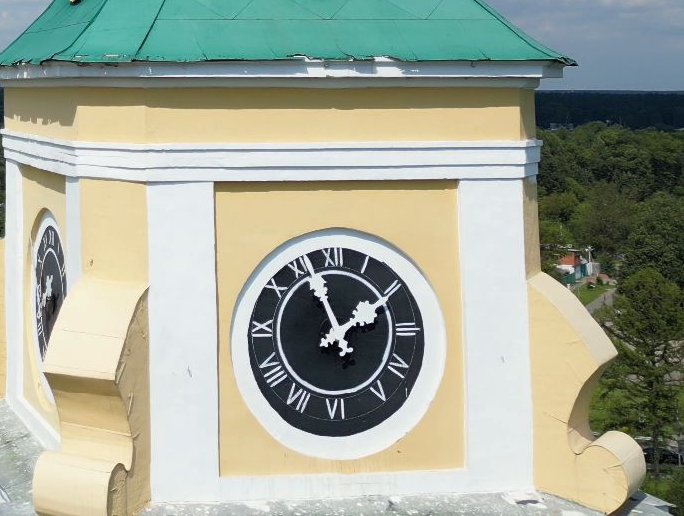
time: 1:56
